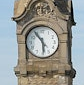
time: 5:54
